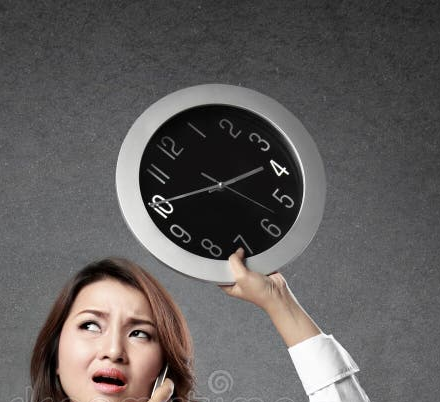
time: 1:40
